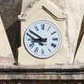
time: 8:50
